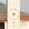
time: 3:30
